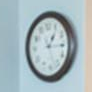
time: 1:14
